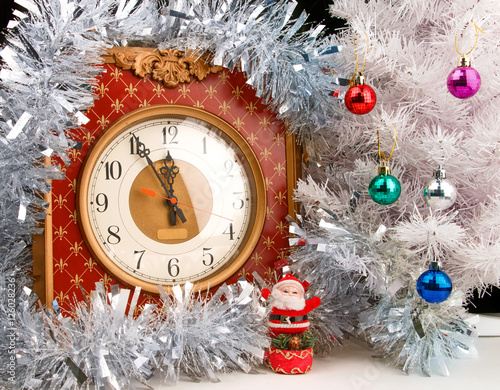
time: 11:55
